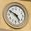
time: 4:50
